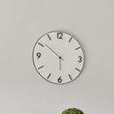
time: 5:51
